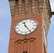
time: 11:24
